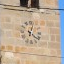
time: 12:21
